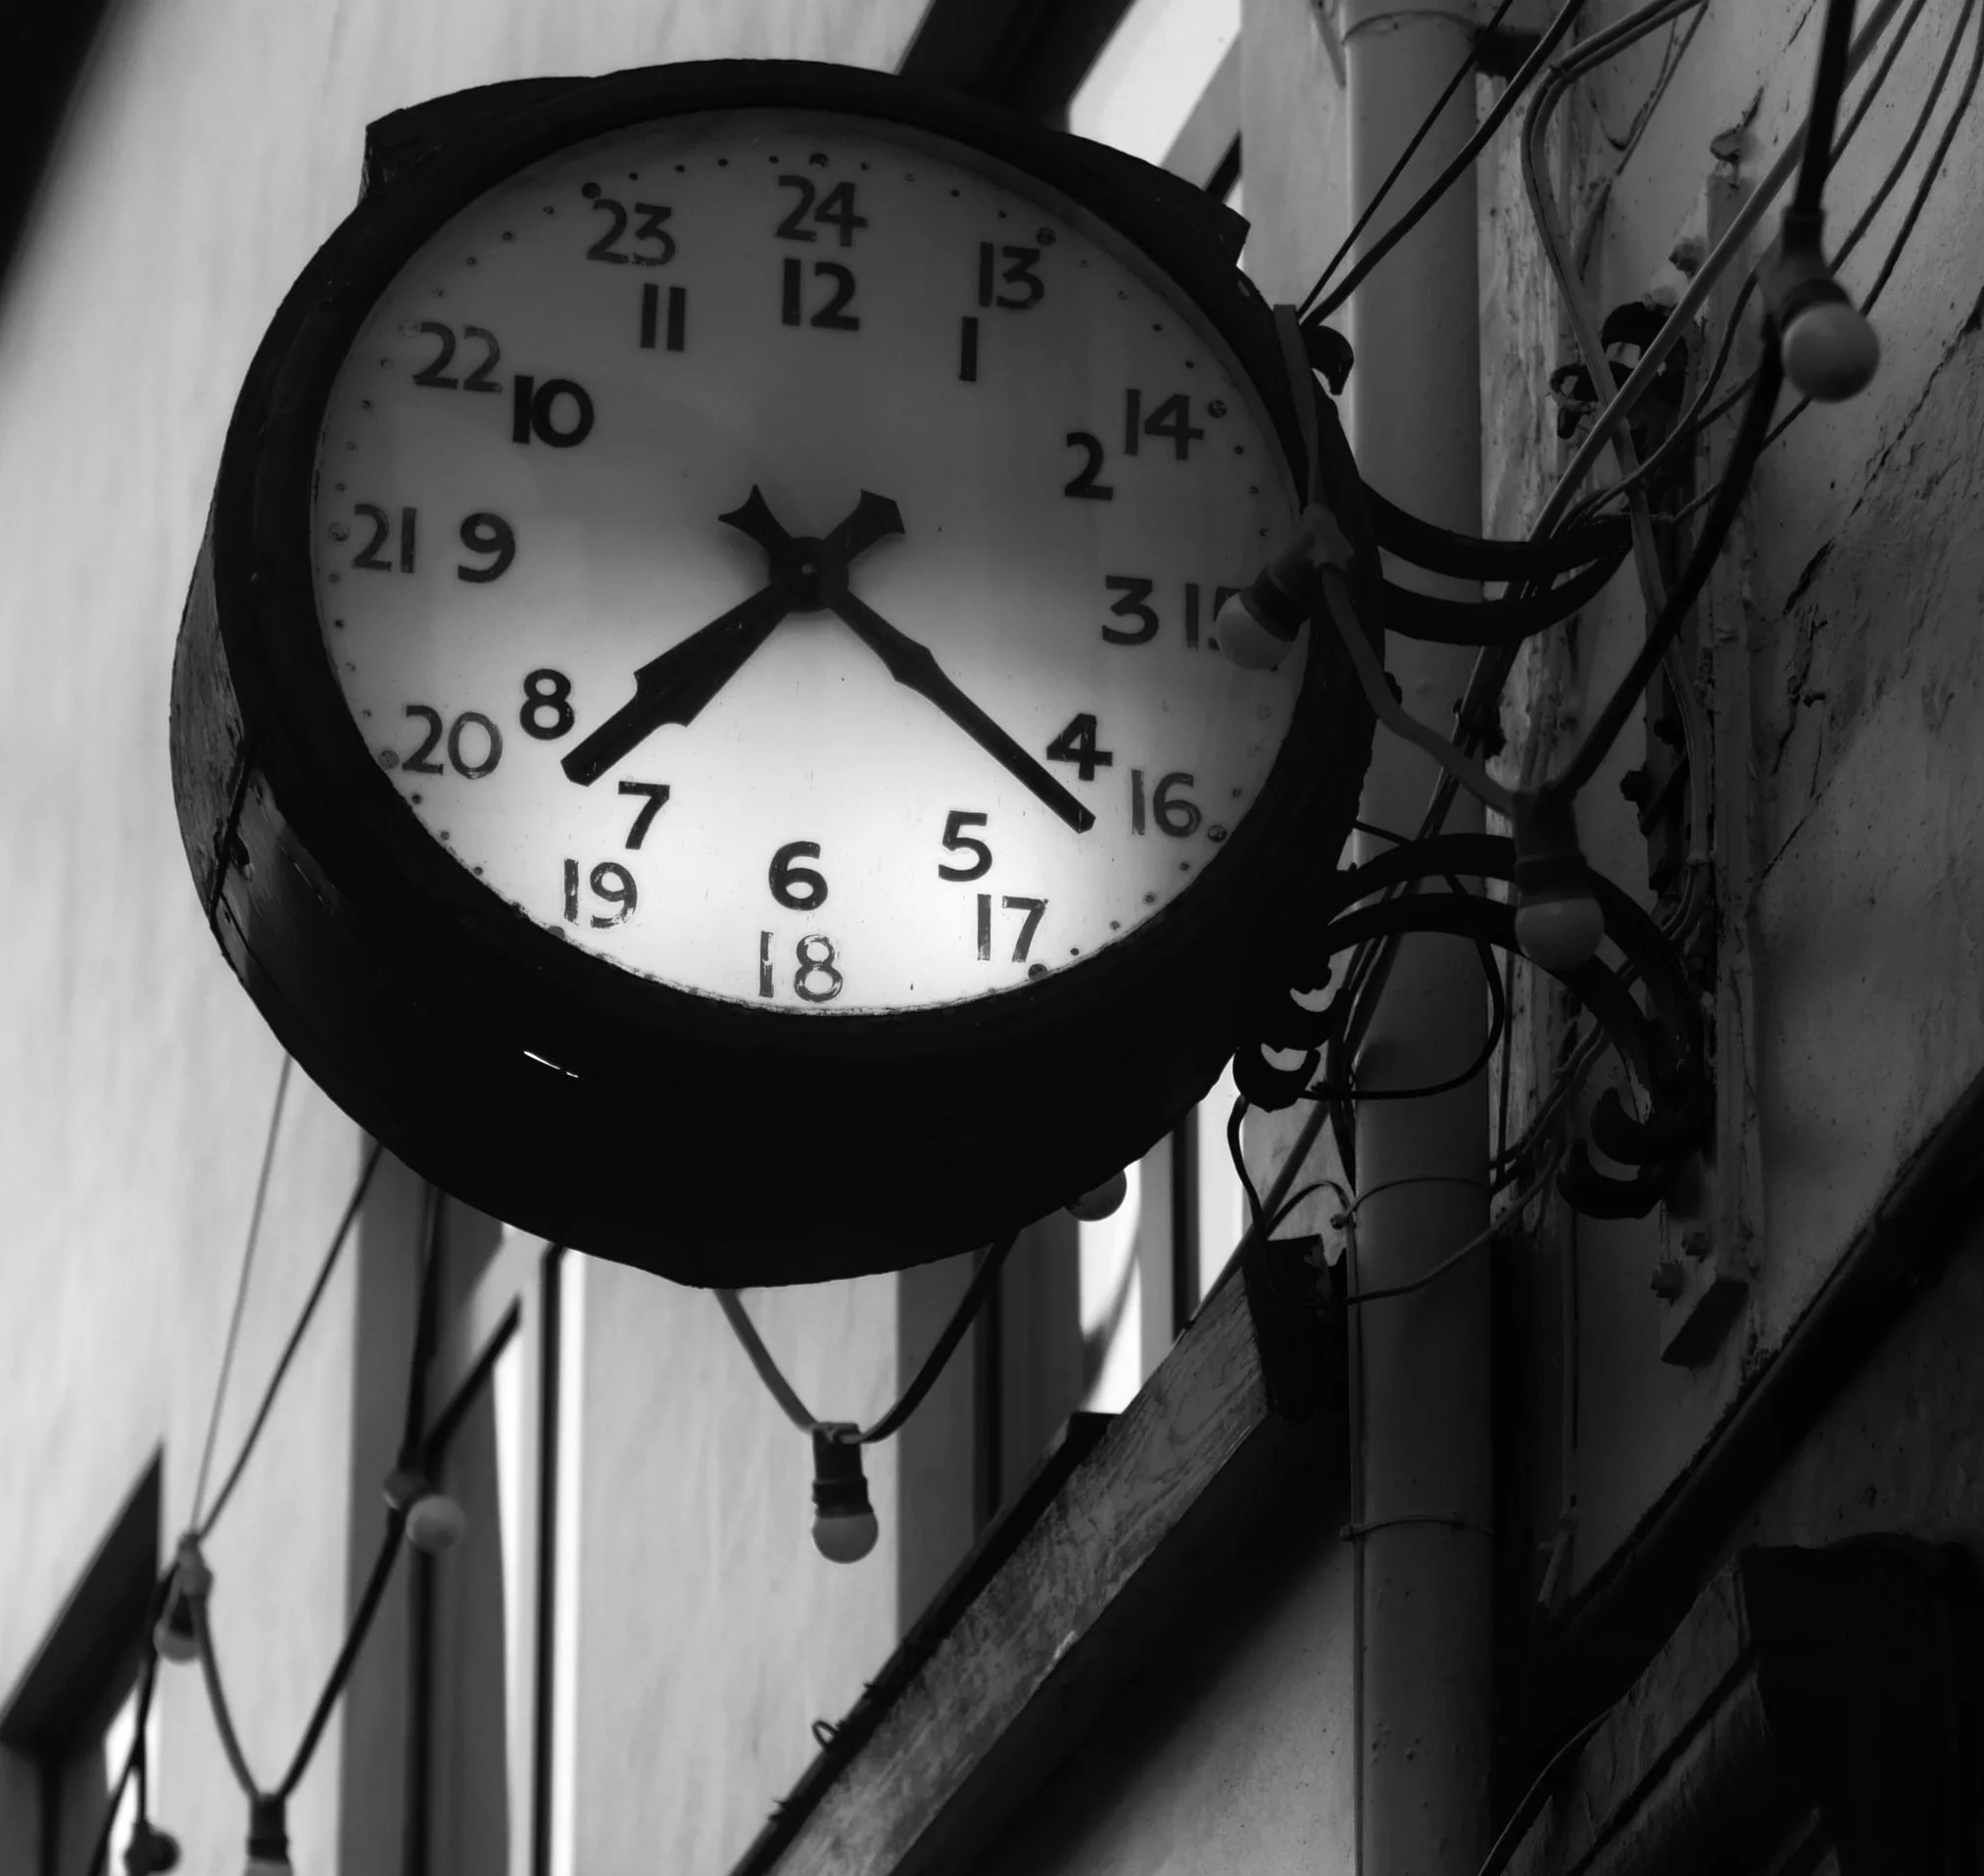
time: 7:21
